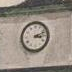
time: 3:11
